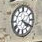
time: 4:19
